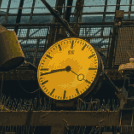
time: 8:43
